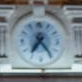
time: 7:24
